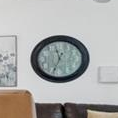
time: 11:34
